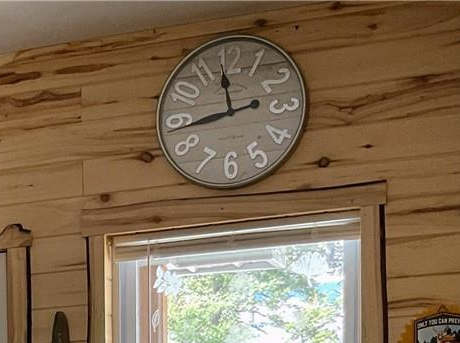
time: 11:43
